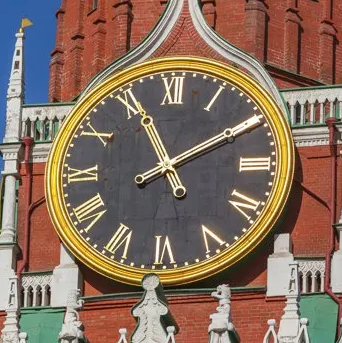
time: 11:10
